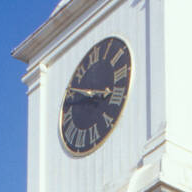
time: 3:50
